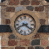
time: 8:21
